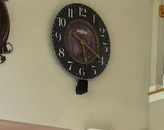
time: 5:19
